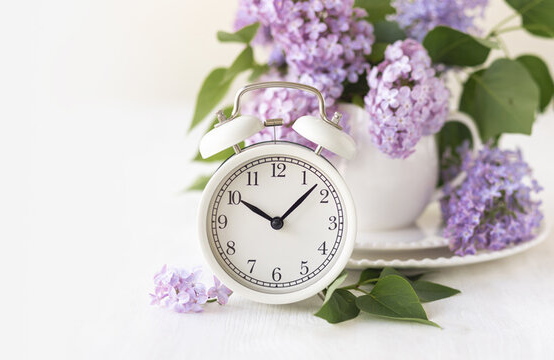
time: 10:07
